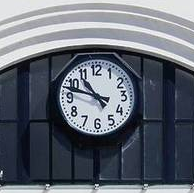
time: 10:48
